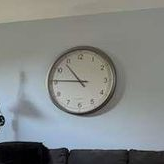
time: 10:45
